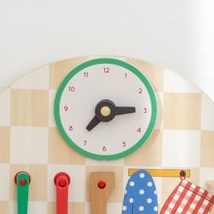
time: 7:14
